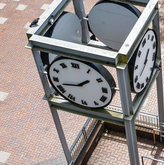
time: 1:42
